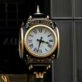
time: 3:32
